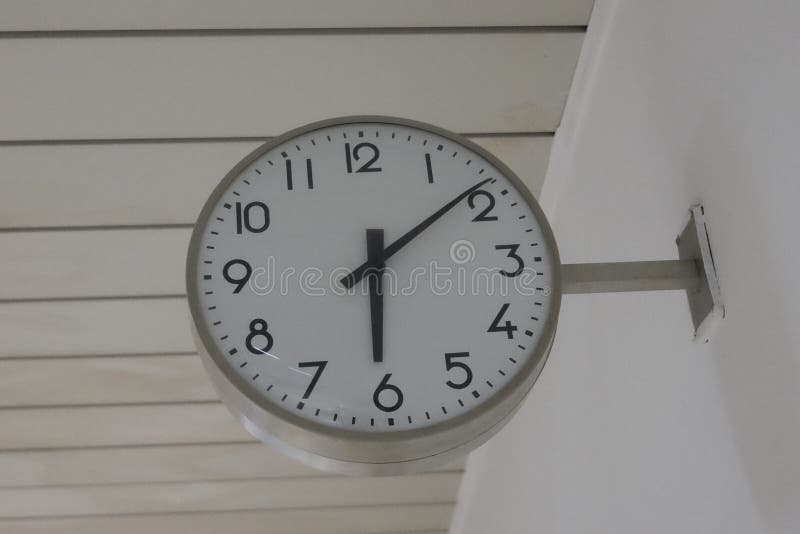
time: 6:08
